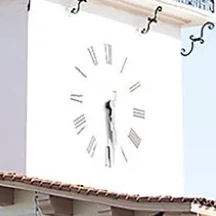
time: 5:29
